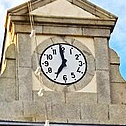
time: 6:58
